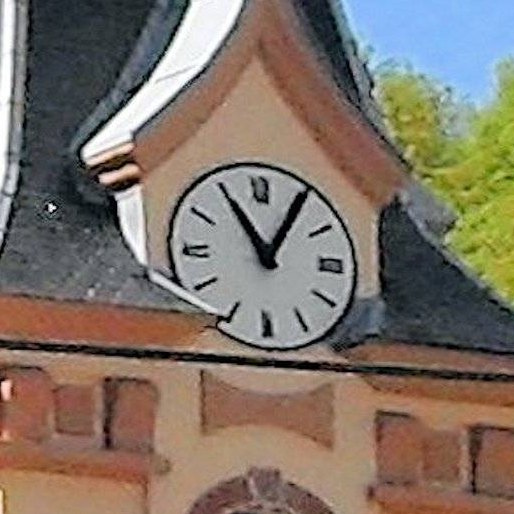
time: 11:05
